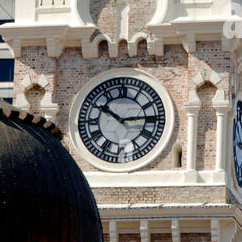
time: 10:13
